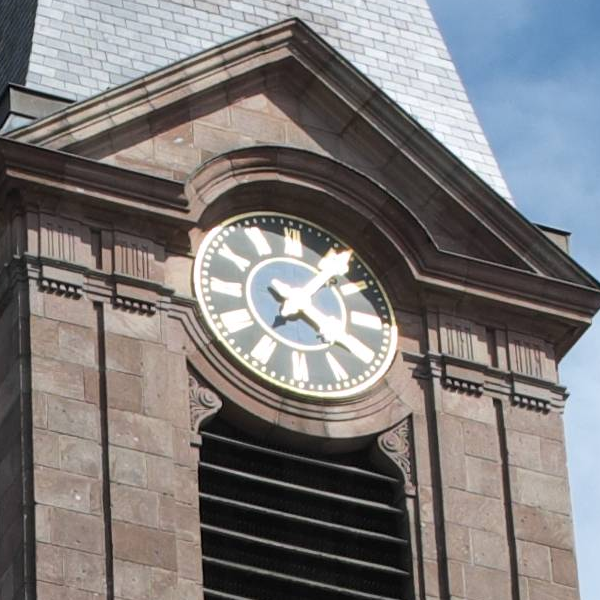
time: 4:07
